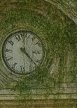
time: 4:22
